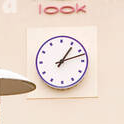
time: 1:12
